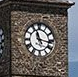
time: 11:16
